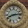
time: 8:13
